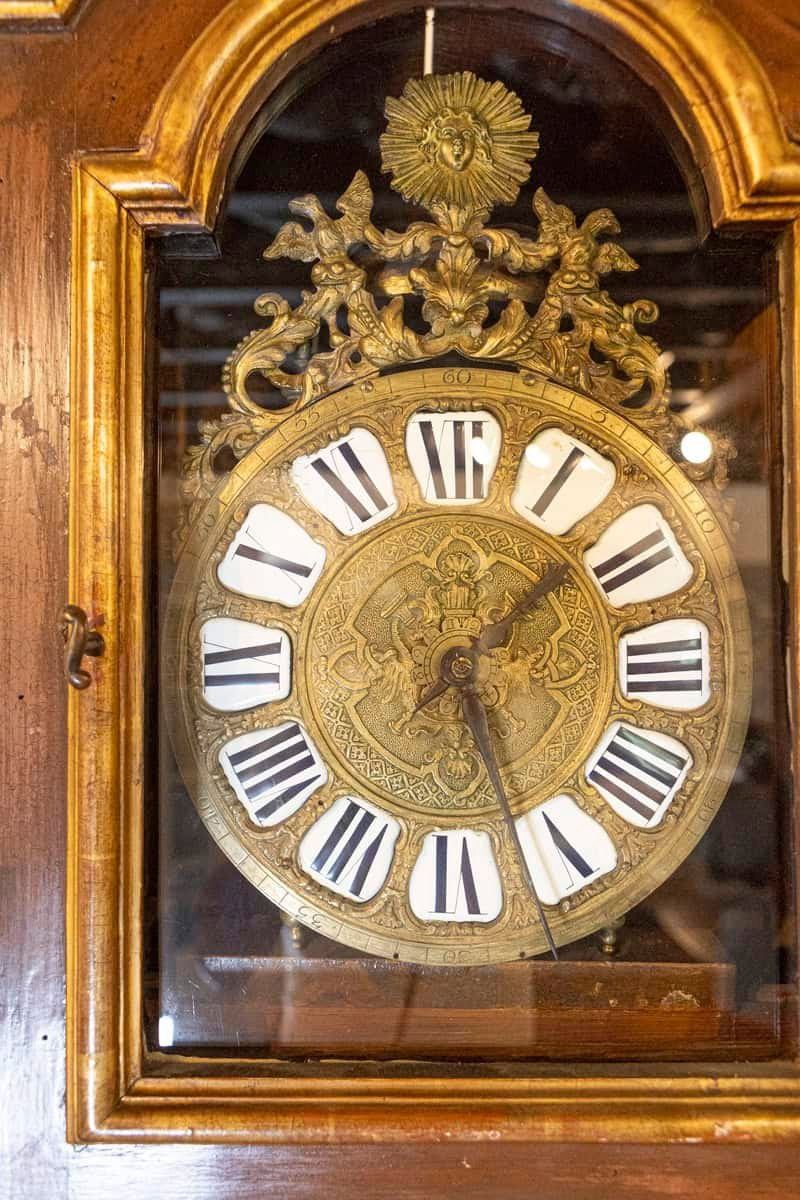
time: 1:26
